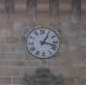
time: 1:17
